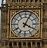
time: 4:04
